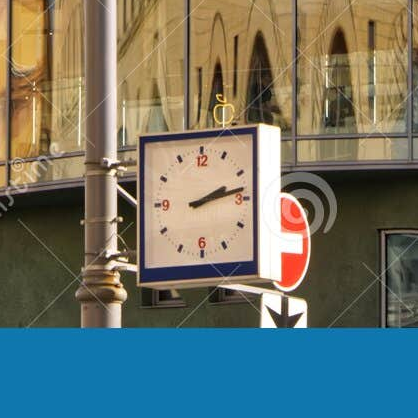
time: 2:13
